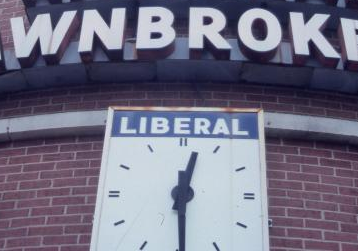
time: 12:29
